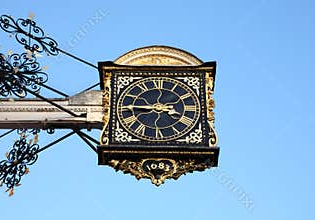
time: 3:45
